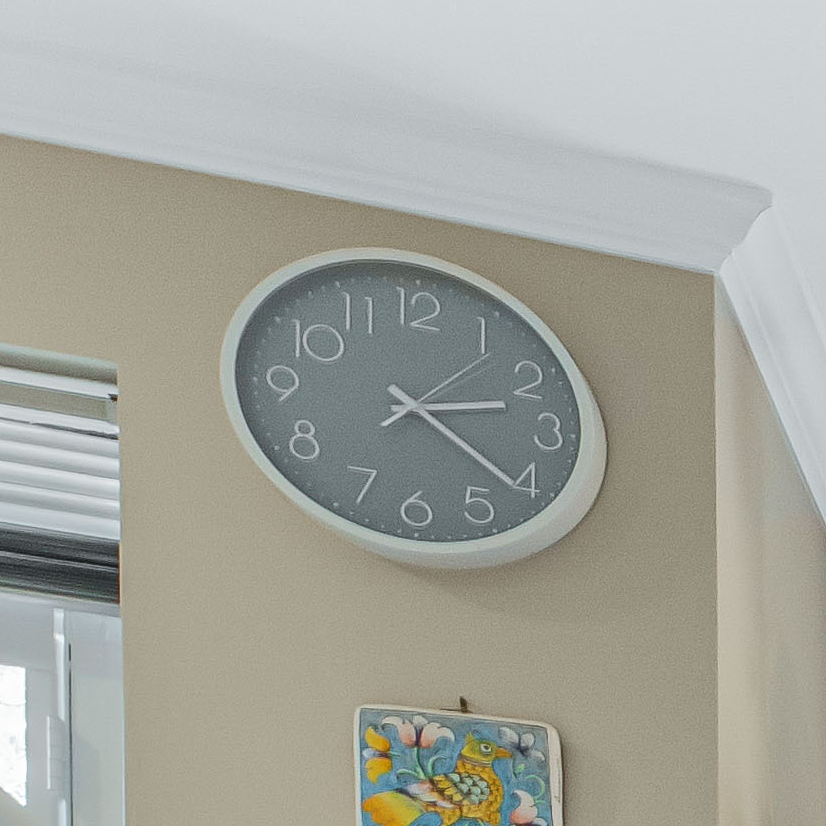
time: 2:21
